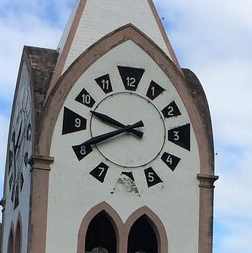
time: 9:40
